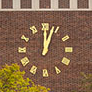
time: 12:03
